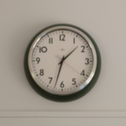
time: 1:32
